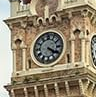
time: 4:20
